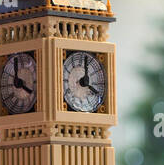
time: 4:01
